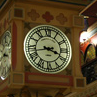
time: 3:43
